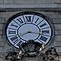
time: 8:16
